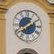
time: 1:39
